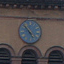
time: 4:52
